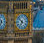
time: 6:52
